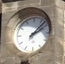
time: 2:07
